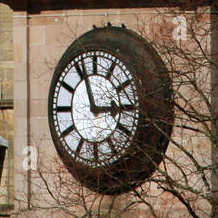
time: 2:56
